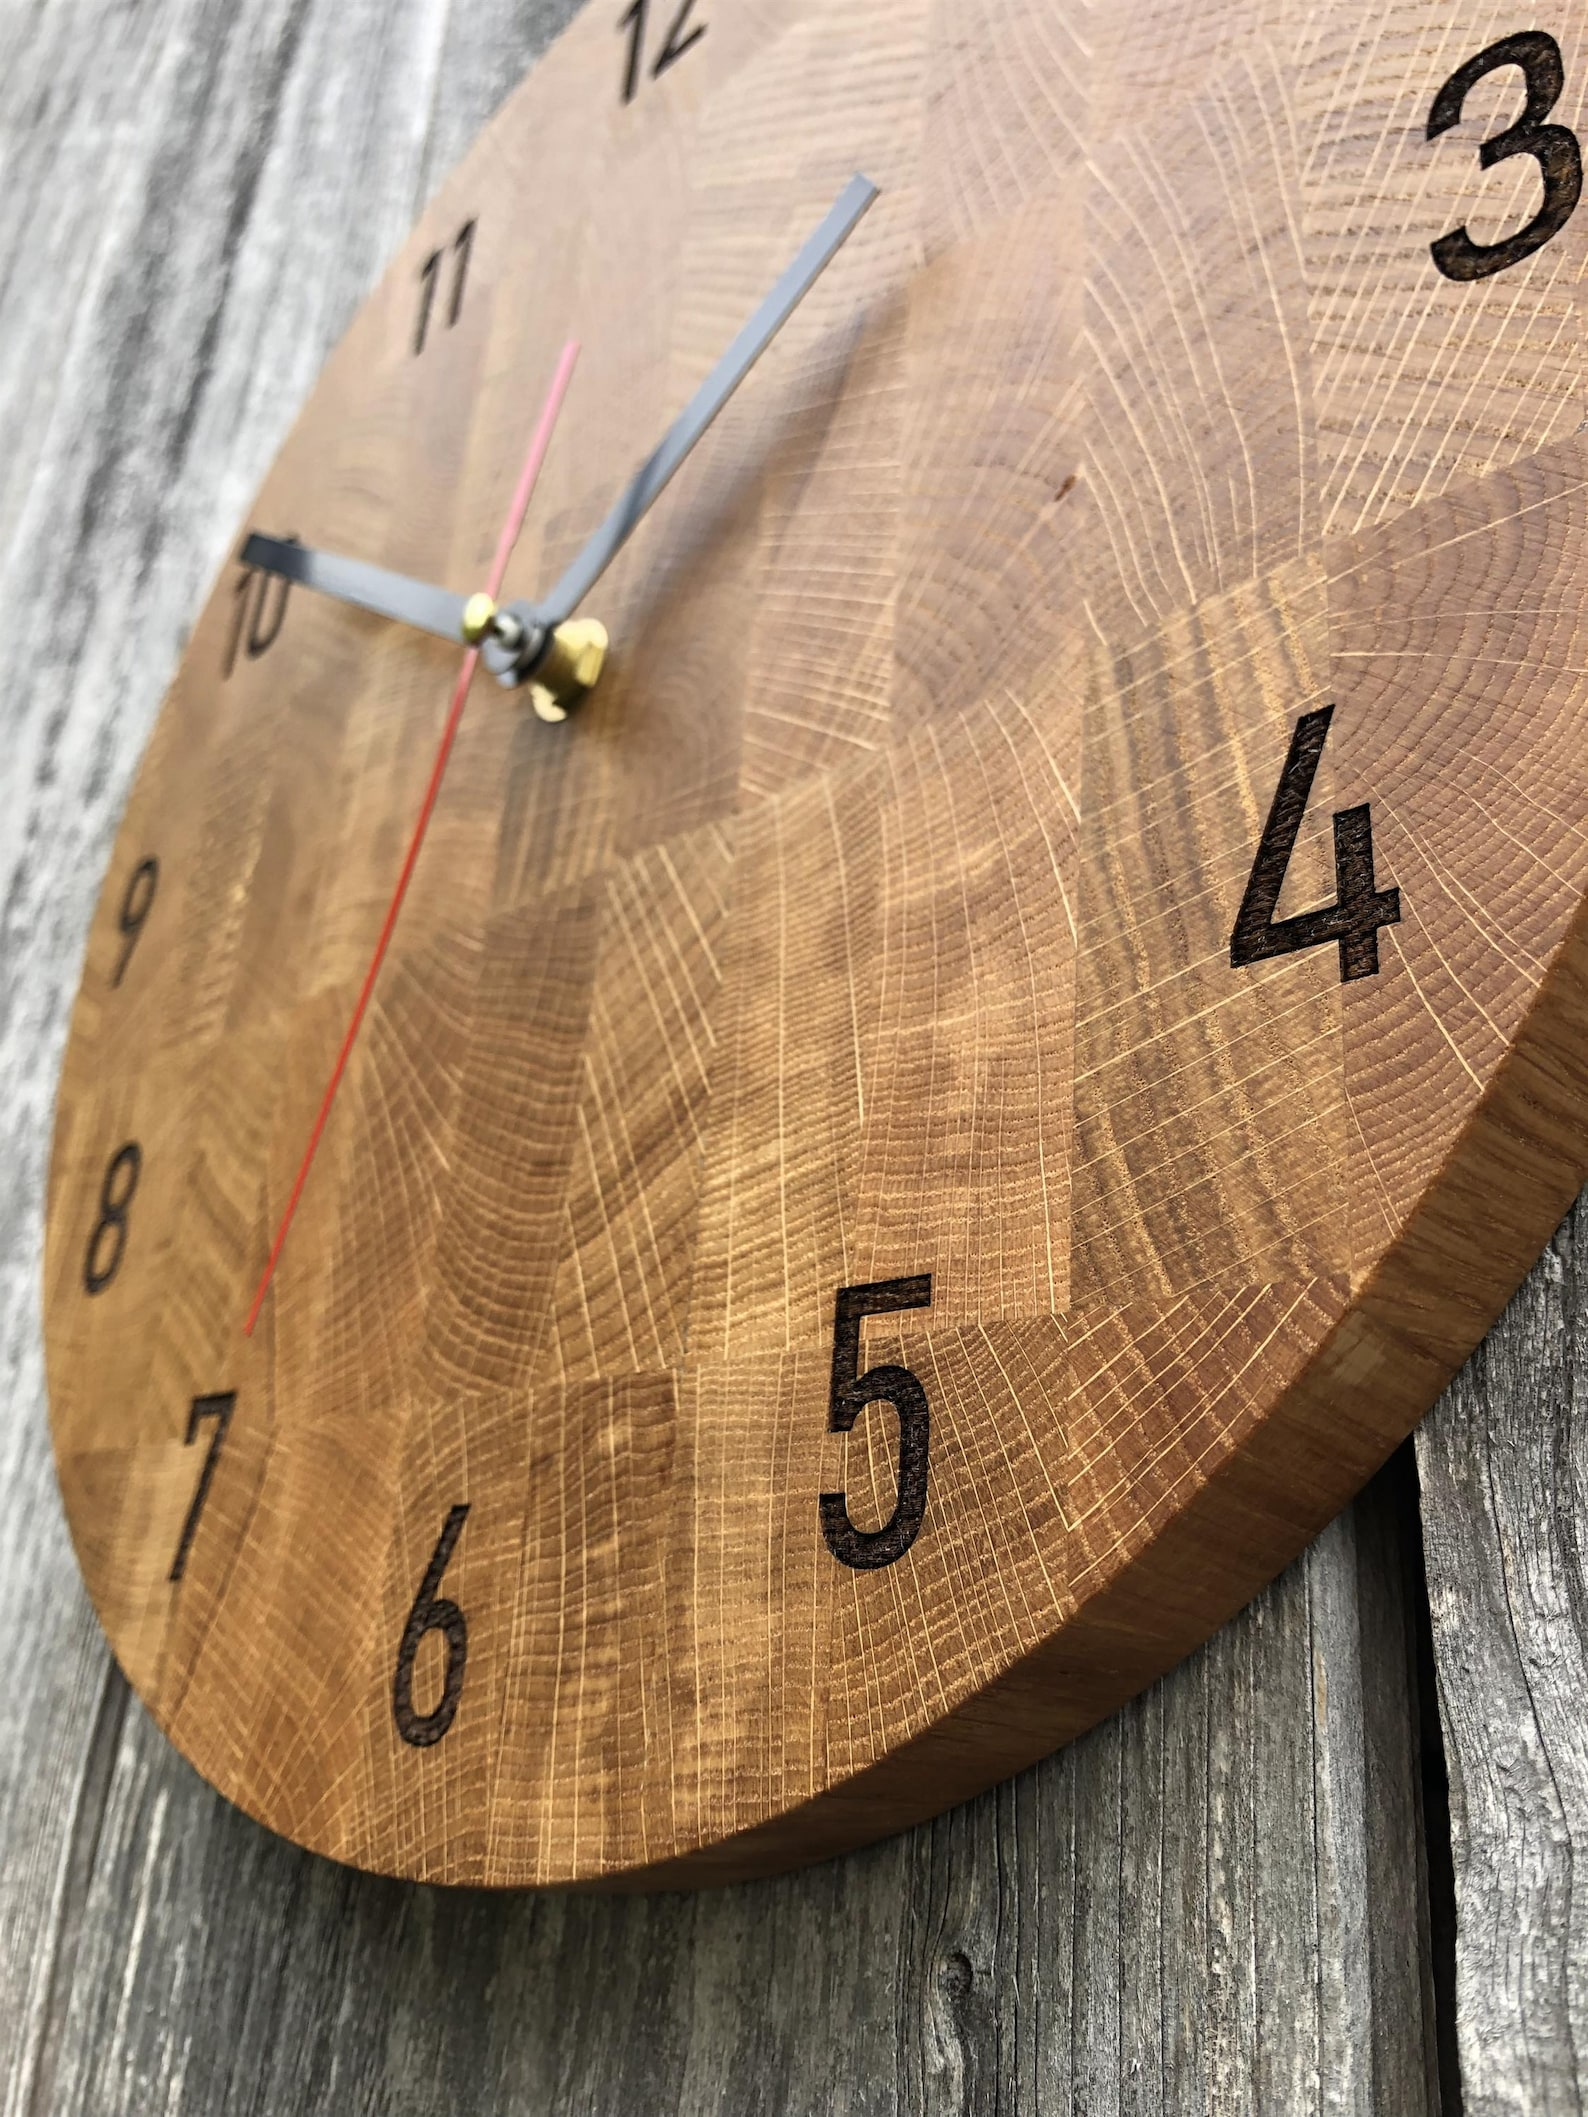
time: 1:50
